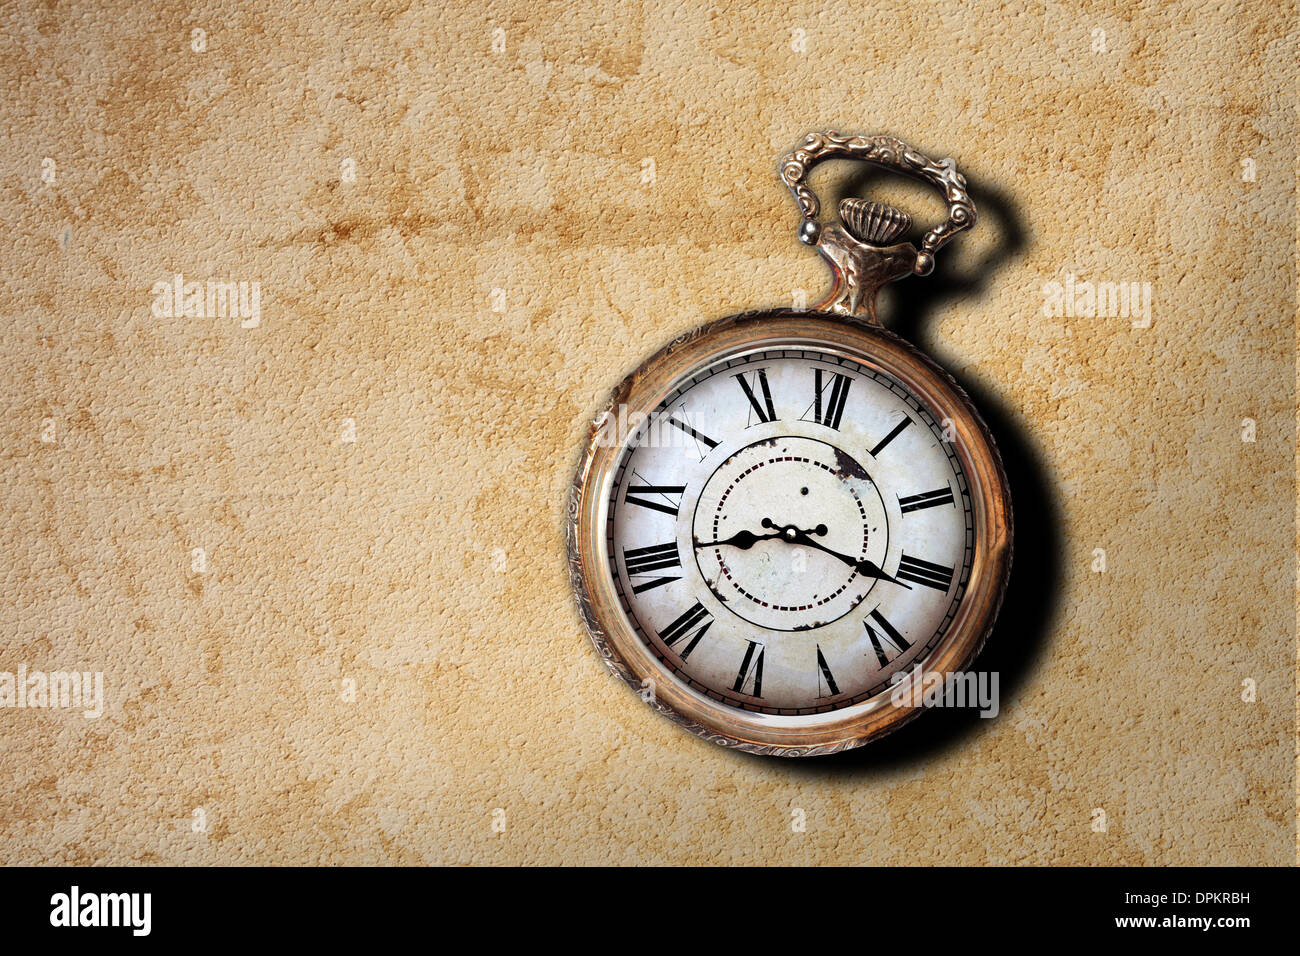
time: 8:15
